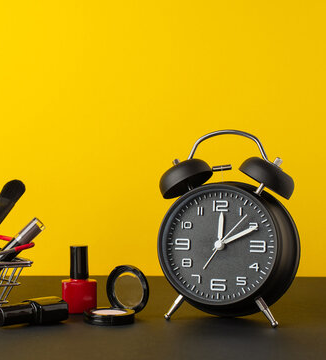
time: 12:10
